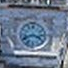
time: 3:41
